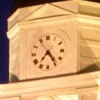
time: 7:24
